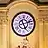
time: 5:12
